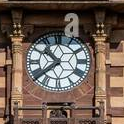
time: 10:38
